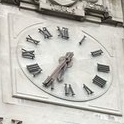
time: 6:35
